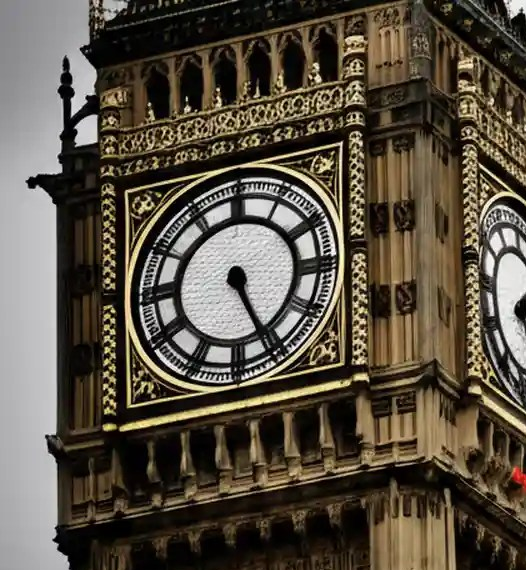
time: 5:26
